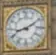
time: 8:09
